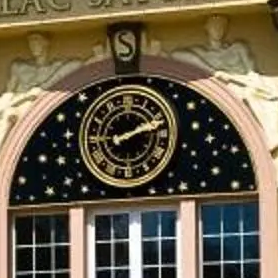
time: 2:11
